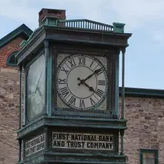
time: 4:09
